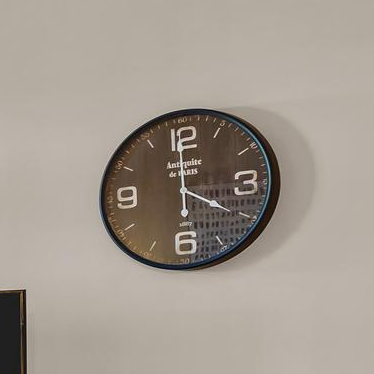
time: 3:59
